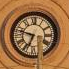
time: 6:47
